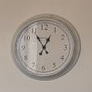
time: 12:54
